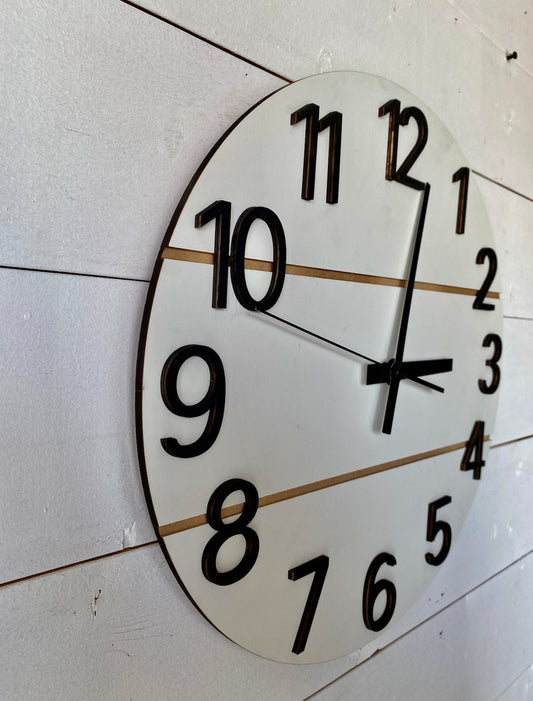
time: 3:02
